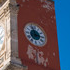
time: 2:56
